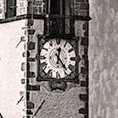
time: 12:23
